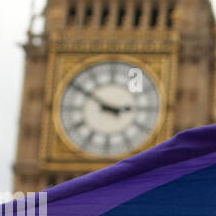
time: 2:50
